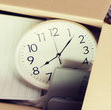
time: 8:07
